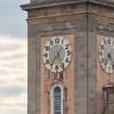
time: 7:25
